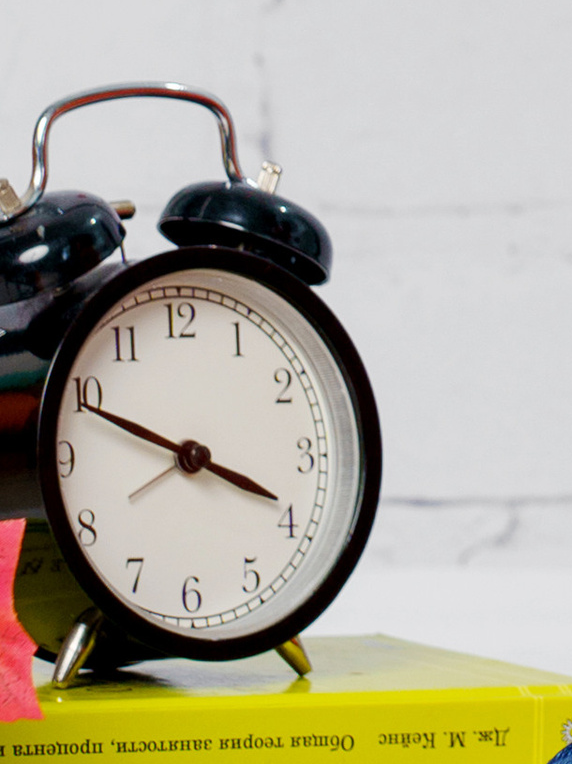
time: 3:48
